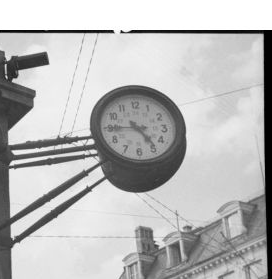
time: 4:44
